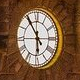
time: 5:54
